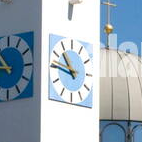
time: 10:45
